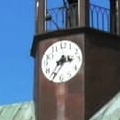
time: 2:35
